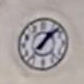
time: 1:07
